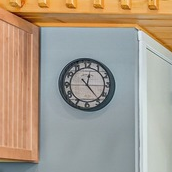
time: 12:23
